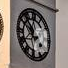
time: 11:52
